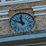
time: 11:48
